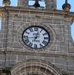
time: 12:43
